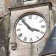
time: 3:53
